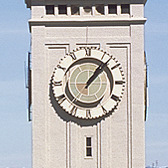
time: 1:07
